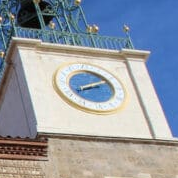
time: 8:09
